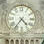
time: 4:36
